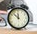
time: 11:52
